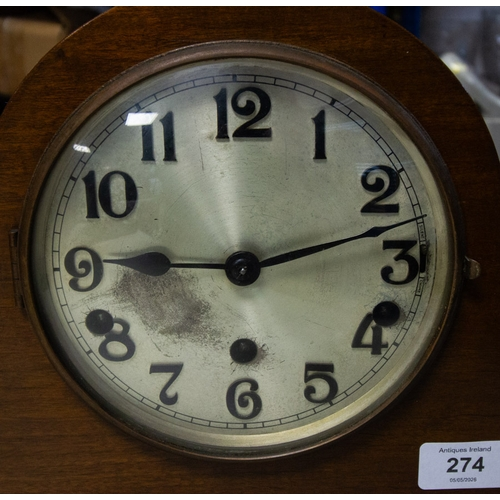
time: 9:12
